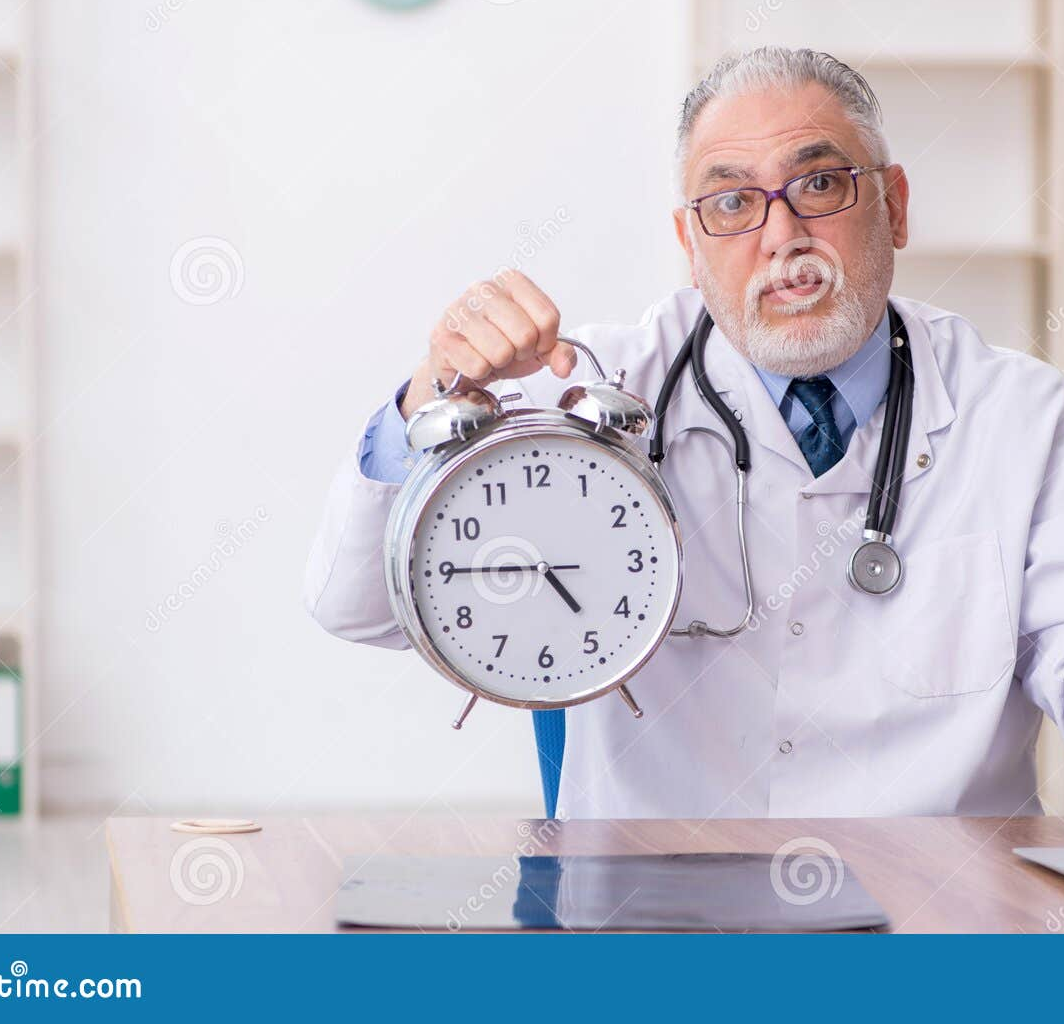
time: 4:45
